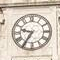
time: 9:35
